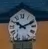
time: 10:11
